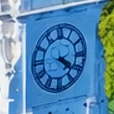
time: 4:19
